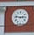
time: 2:46
